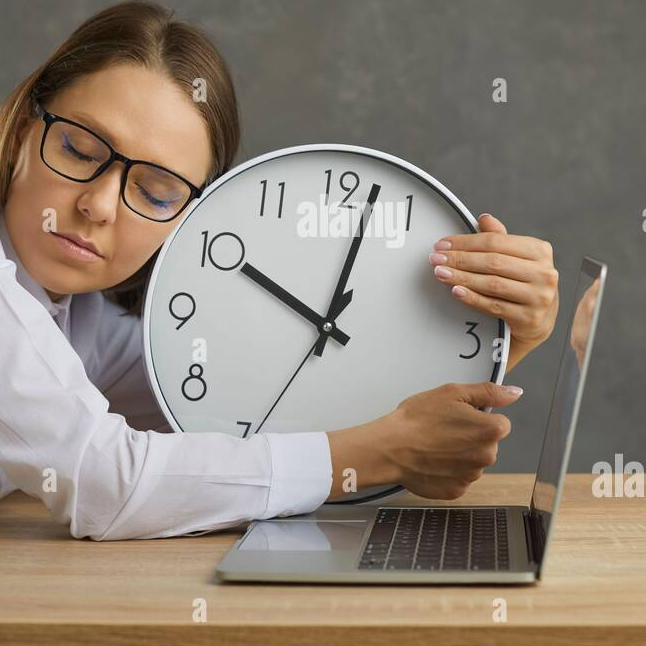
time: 10:02
